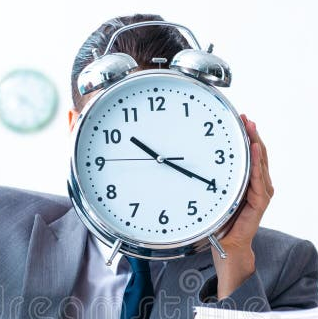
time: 10:19
